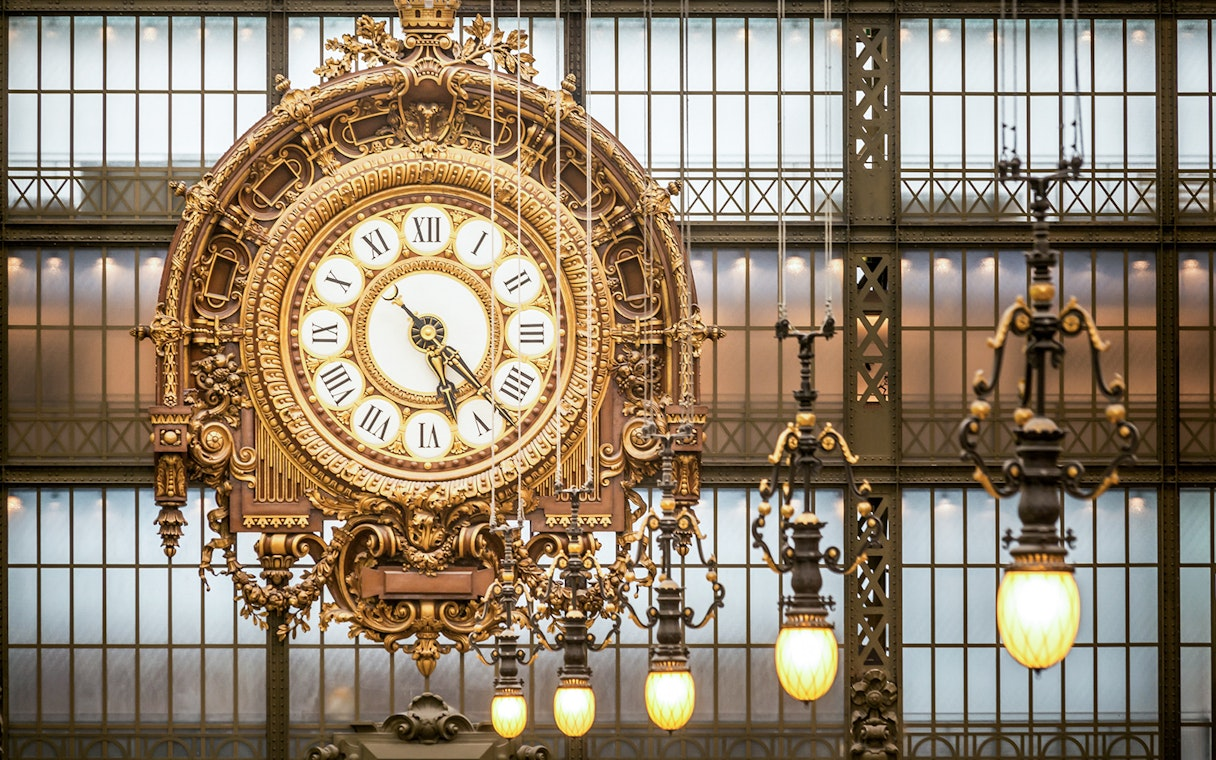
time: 5:22
